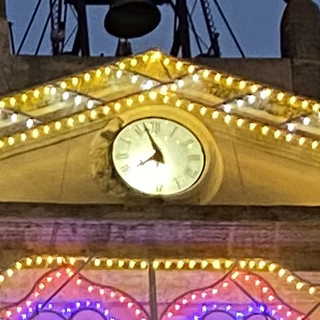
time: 7:57
